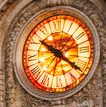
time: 10:20
